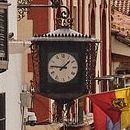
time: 1:46
